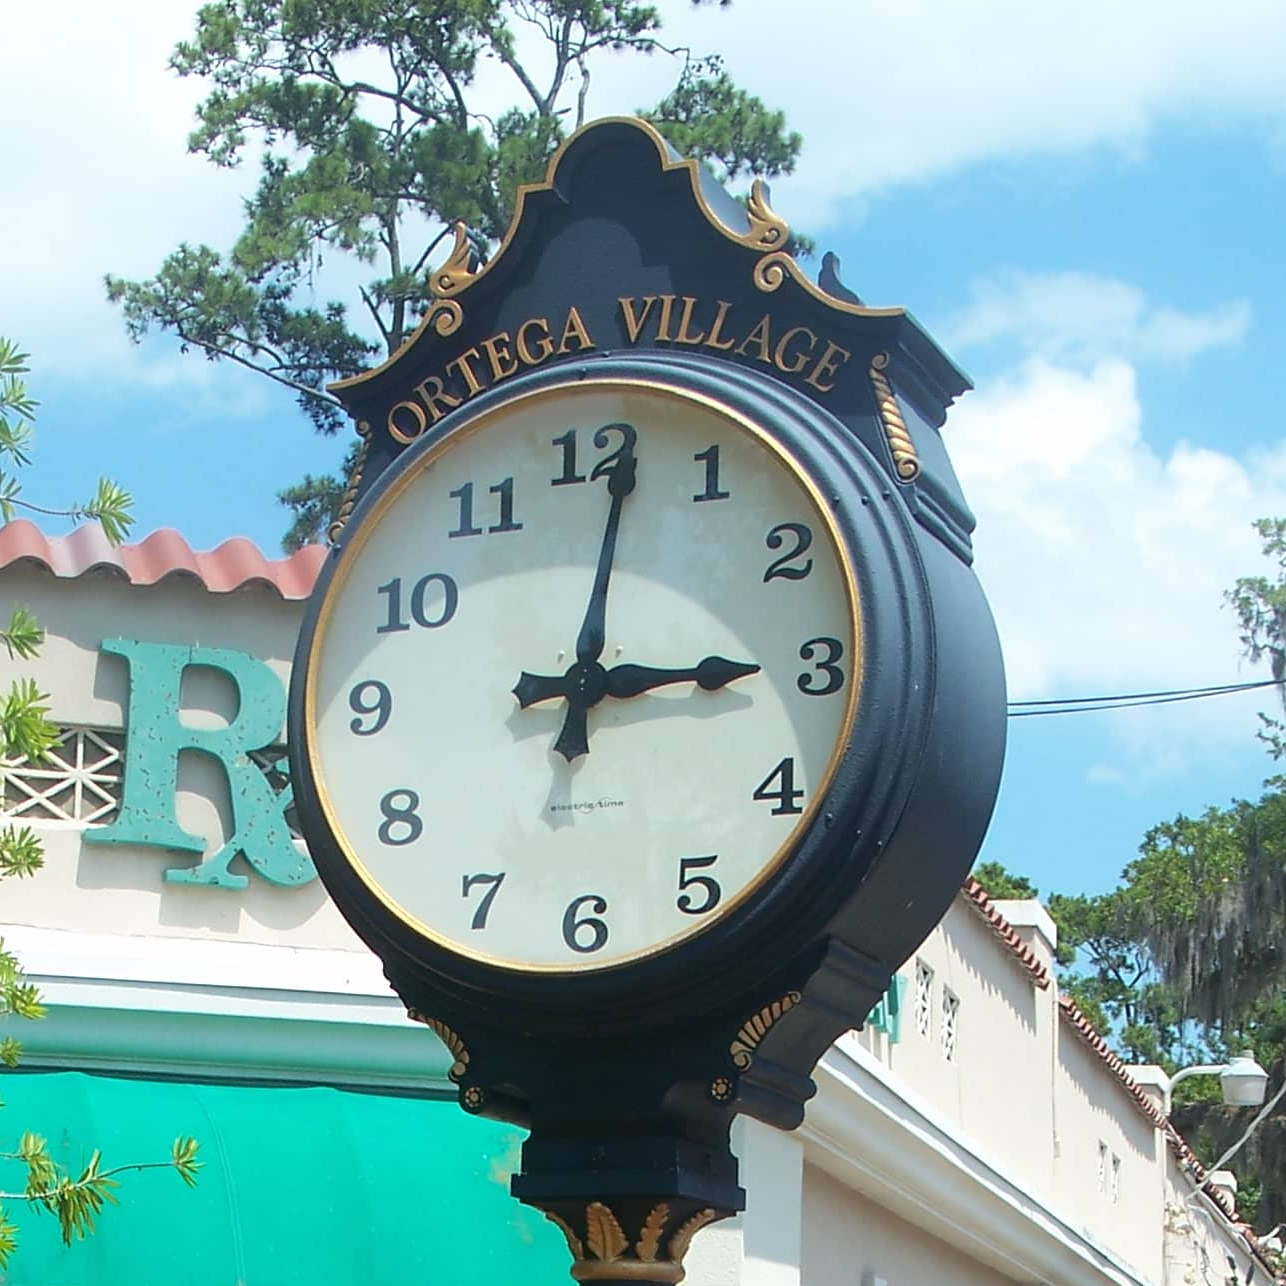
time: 3:01
